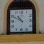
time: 10:50
